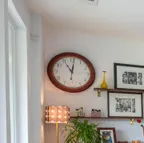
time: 11:01
